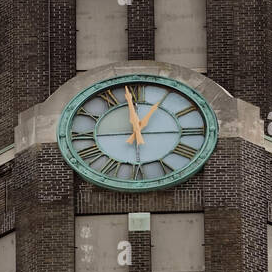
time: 12:58
